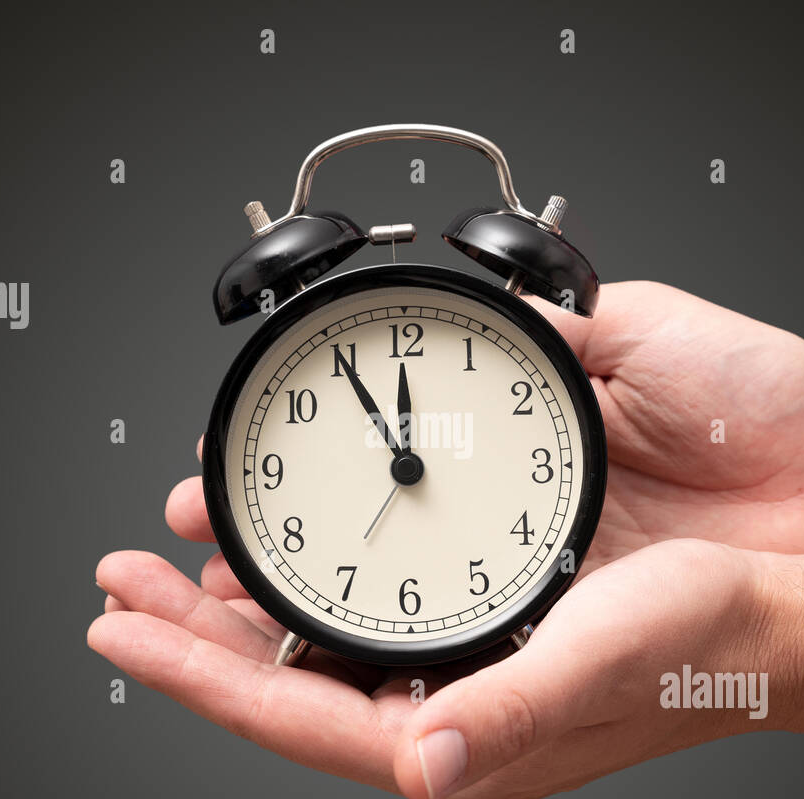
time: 11:55
